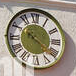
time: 10:20
